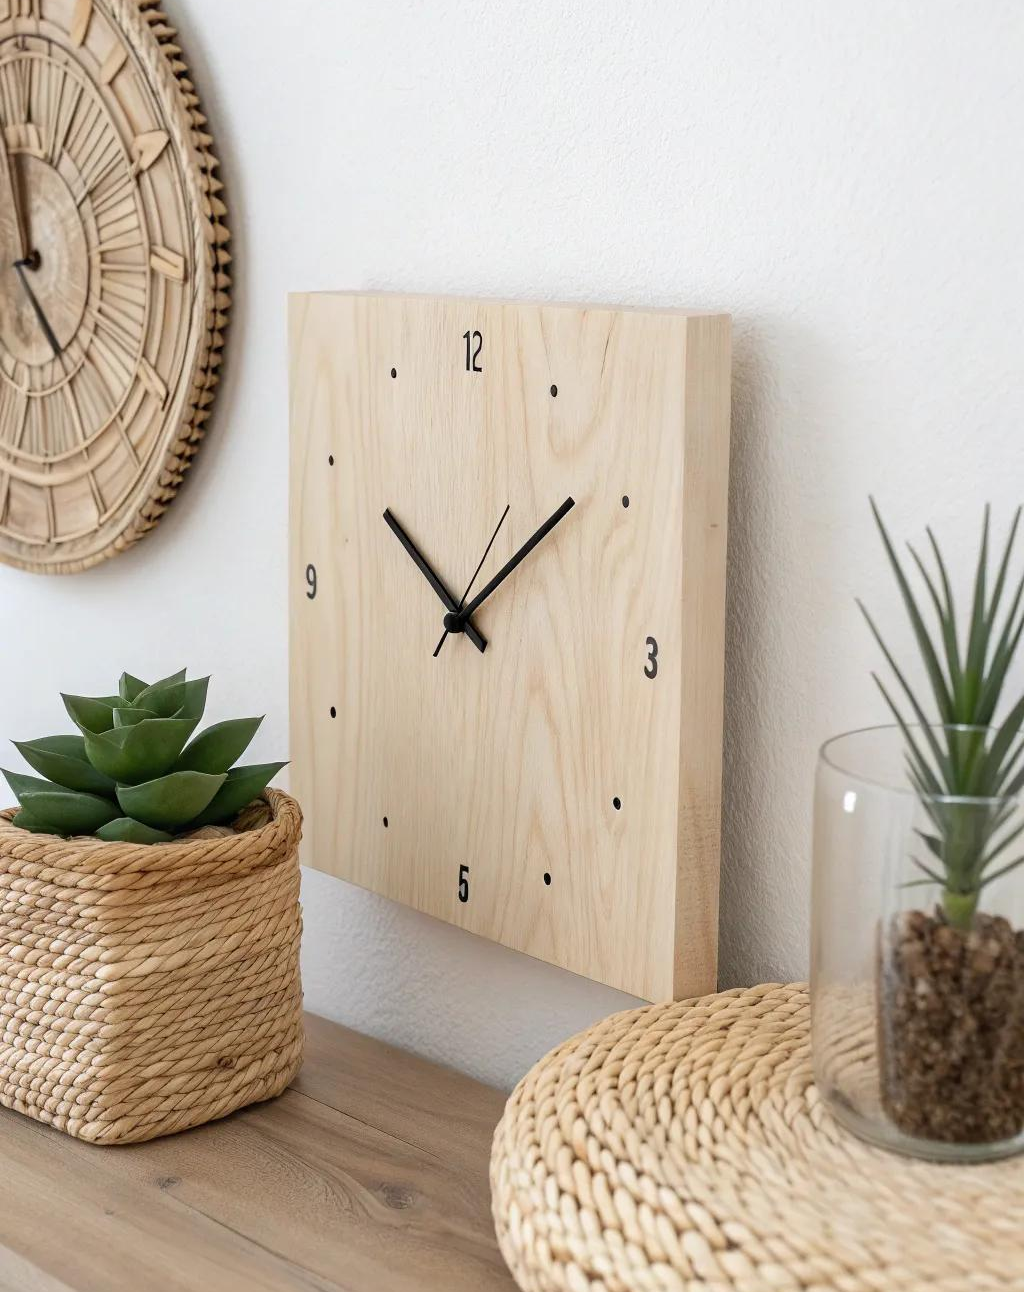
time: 10:08
